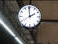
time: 1:59
